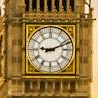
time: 9:11
